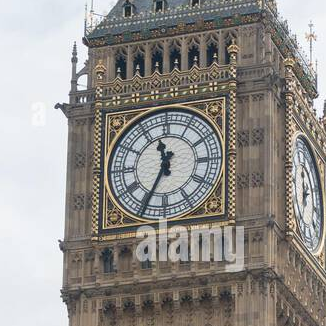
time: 11:34
